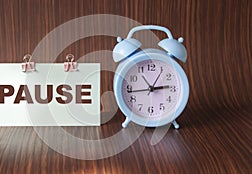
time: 2:43
